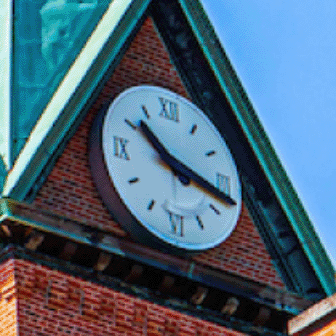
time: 10:17
